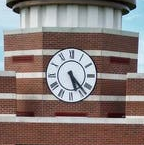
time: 5:23
